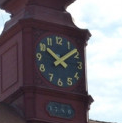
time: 10:08
